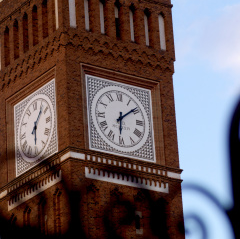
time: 6:08
